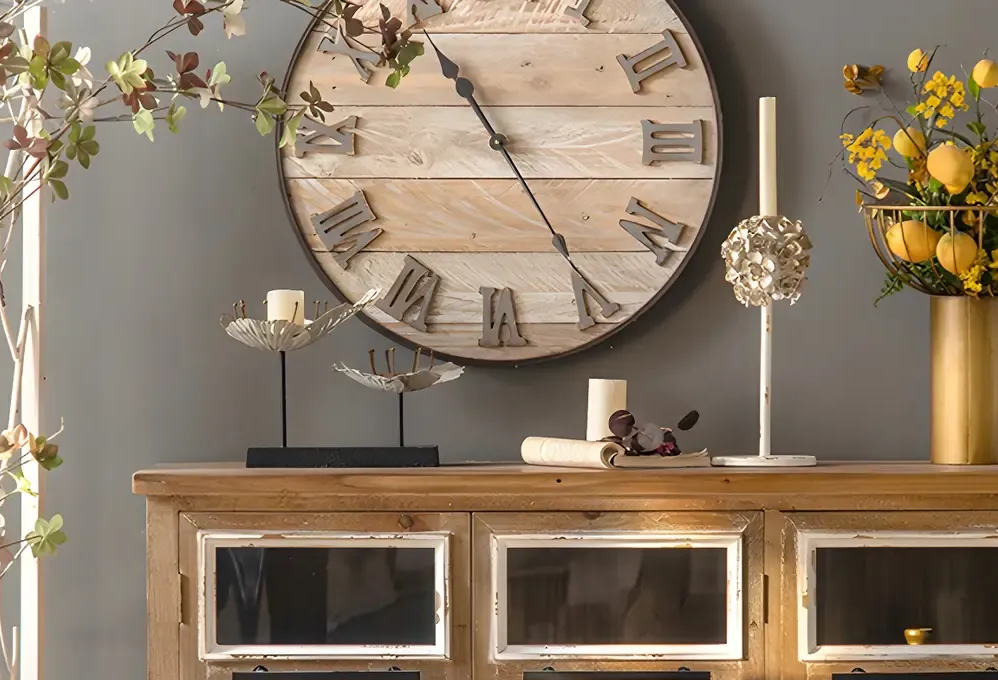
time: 10:24
